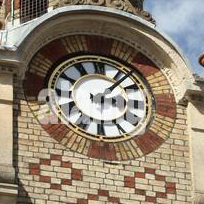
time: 3:07
